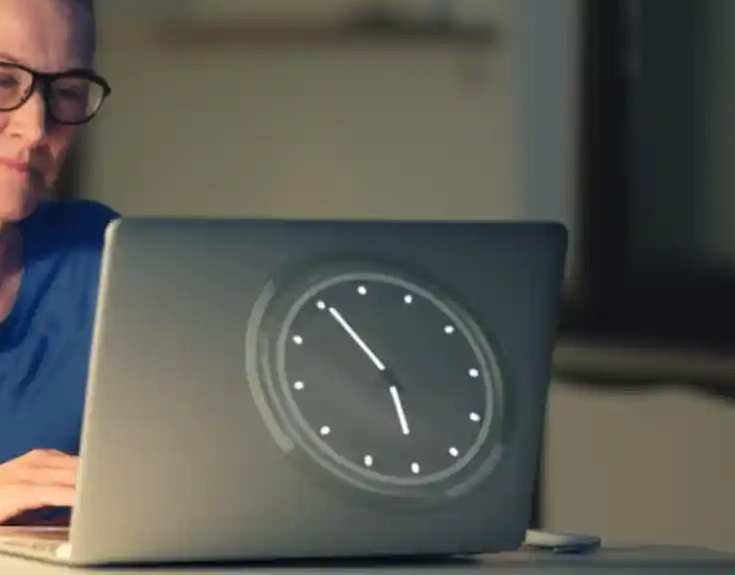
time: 5:55
